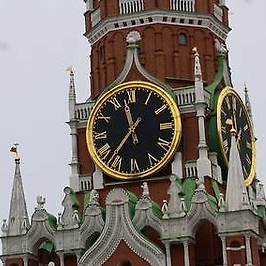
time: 11:36
